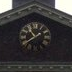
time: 10:38
